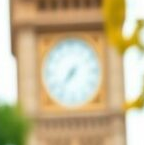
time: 7:36
